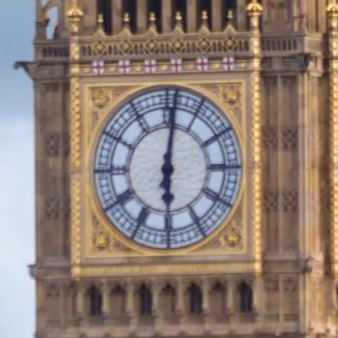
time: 6:01
